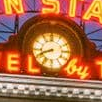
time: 8:41
